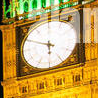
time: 5:49
